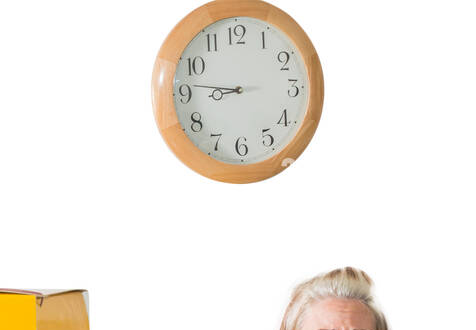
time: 8:46
